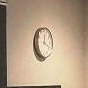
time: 12:19
